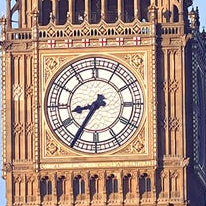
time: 8:35
